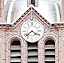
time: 4:37
